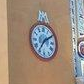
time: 7:09
